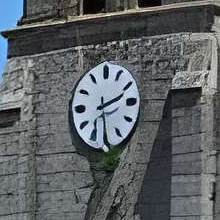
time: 2:29
